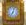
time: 7:03
